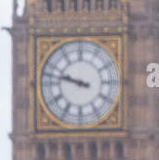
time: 9:47
